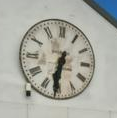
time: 6:31
